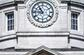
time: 10:45
